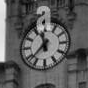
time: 11:37
